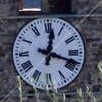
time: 12:18
